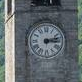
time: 3:12
